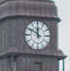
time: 11:50
